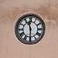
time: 11:29
